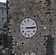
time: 3:14
